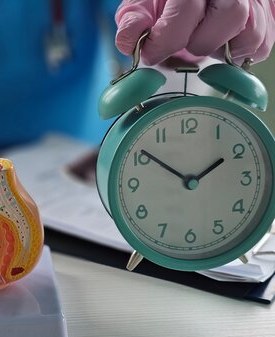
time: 1:51
